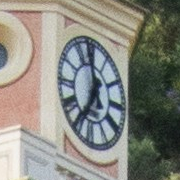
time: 11:35
